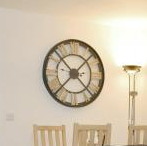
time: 1:37
